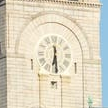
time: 6:29
